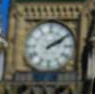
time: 2:09
